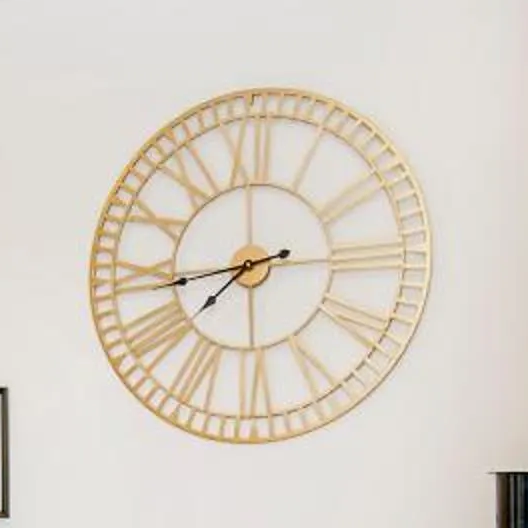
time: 7:44
